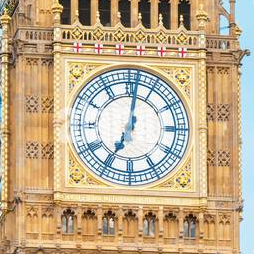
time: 7:01
